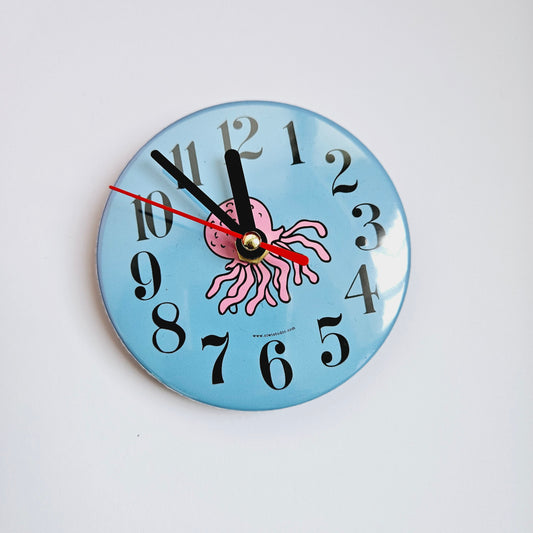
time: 11:53
